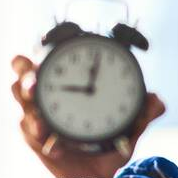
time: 9:01
